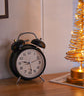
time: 9:12
